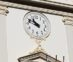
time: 10:48
